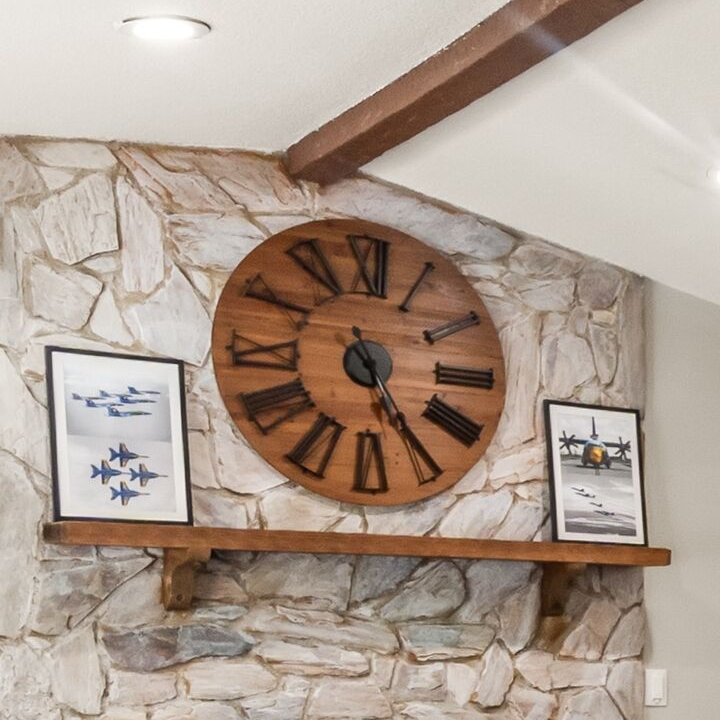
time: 5:24
